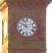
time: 9:57
